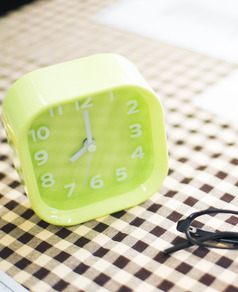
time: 8:00
